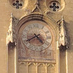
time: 4:39
